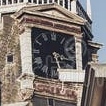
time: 5:18
